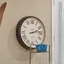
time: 2:12
